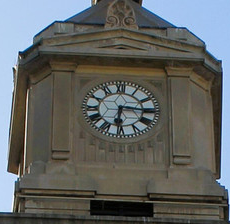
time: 6:15
